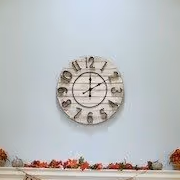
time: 2:00
